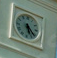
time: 5:21
